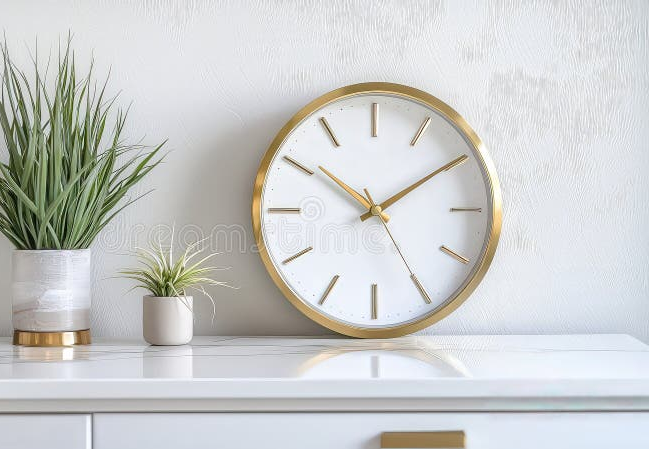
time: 10:09
